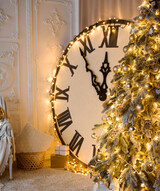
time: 11:53
